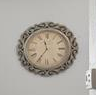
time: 11:35
